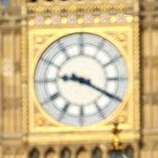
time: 9:20
